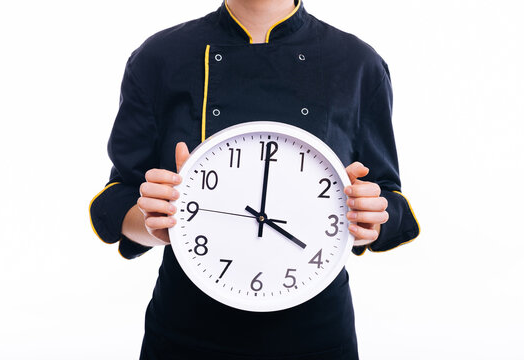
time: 4:00
